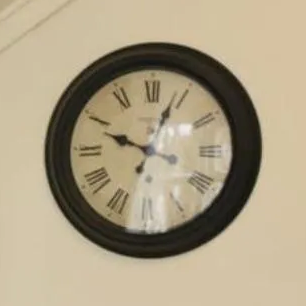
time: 12:48
